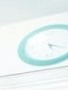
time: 5:18
